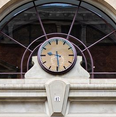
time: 9:29
